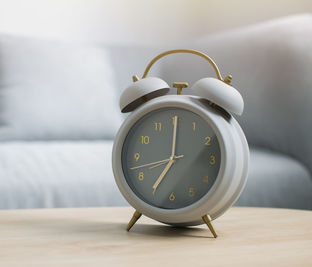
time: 7:00
